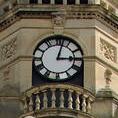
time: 3:02
